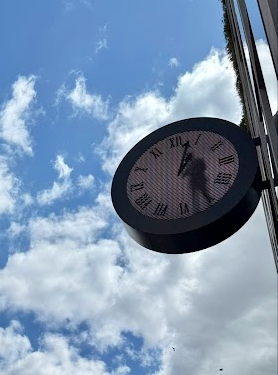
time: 1:02
